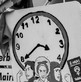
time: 3:39
